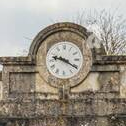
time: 9:20
